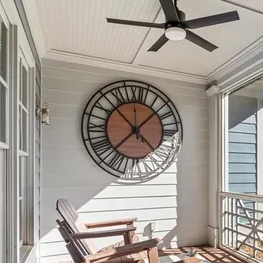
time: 1:37
